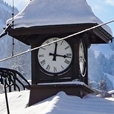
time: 12:16
